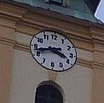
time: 3:42
